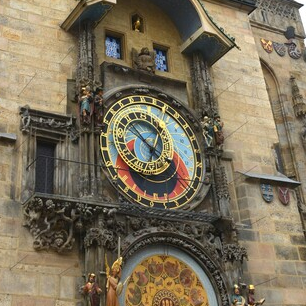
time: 10:22
